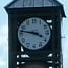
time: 3:47
